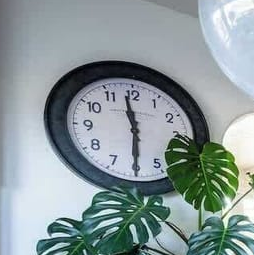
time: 5:58
